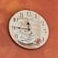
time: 11:45
